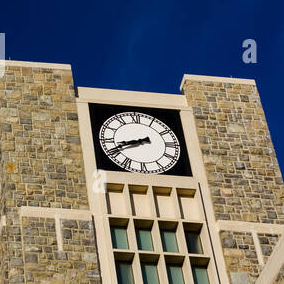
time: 8:40
